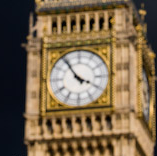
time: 3:54
